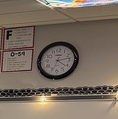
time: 4:12
